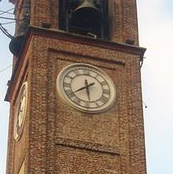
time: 5:40
